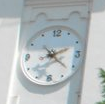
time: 2:21
